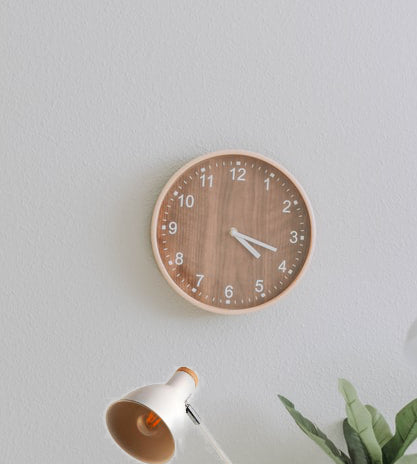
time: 4:18
